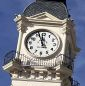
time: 11:56
